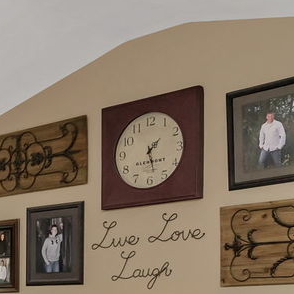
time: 1:28
